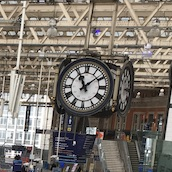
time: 11:08
